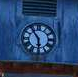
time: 5:54
